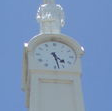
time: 4:27
